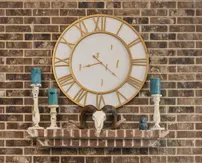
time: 8:21
